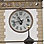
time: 10:42
